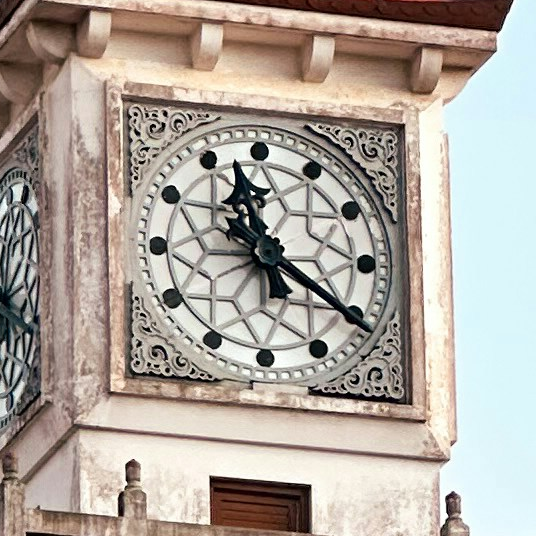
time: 11:20
